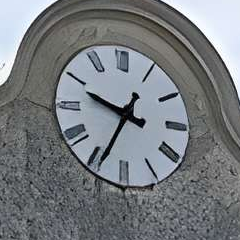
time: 9:34
